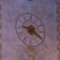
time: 9:20
